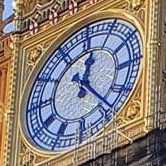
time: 12:23
